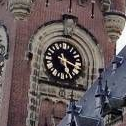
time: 5:18
